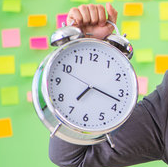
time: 7:17
